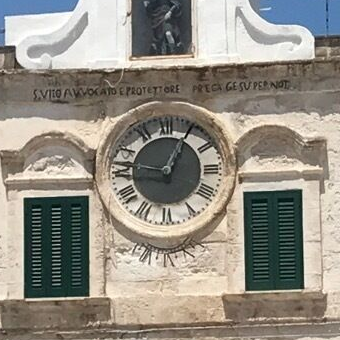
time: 9:04
